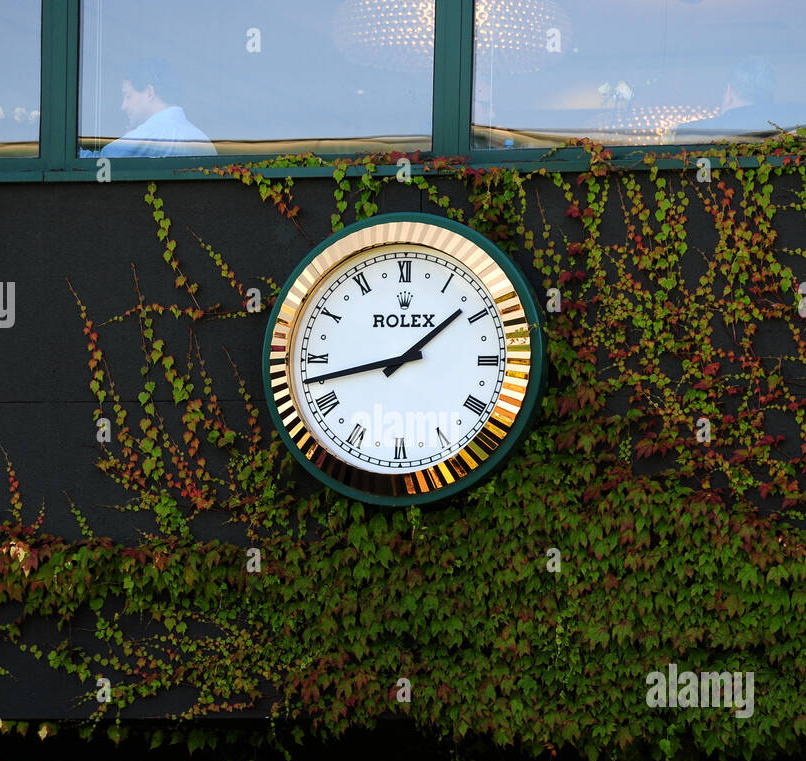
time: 1:42
